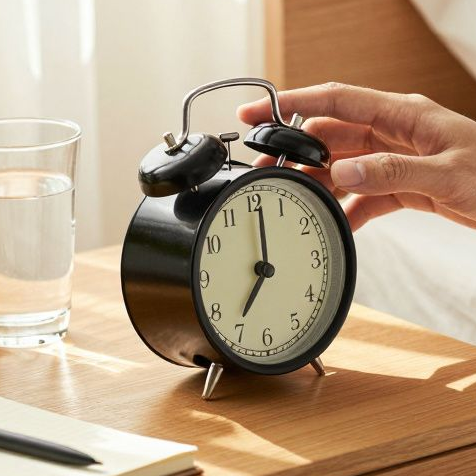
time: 7:00
